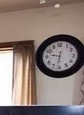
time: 9:31
